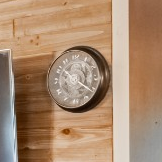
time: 10:21
